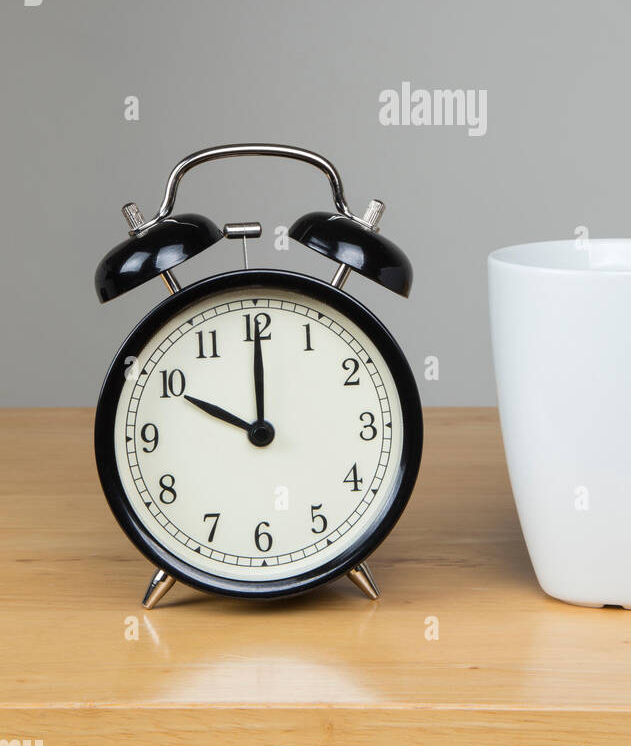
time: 10:00
